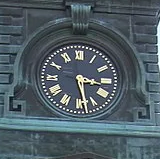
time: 3:28
